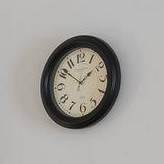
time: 1:51
